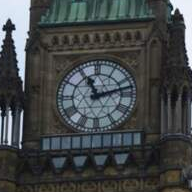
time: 11:12
